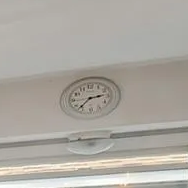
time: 2:36
